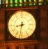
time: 8:32
